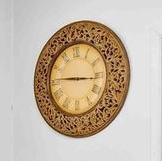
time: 9:16
